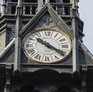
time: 10:20
